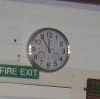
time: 11:54
